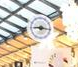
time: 9:16
